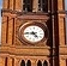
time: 4:45
